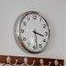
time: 3:28
